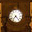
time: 7:23
